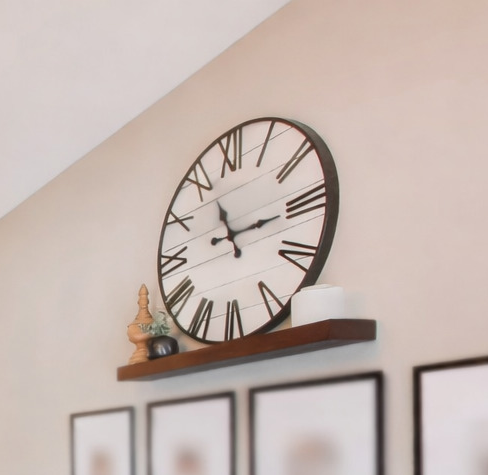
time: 11:15
